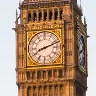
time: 8:11
